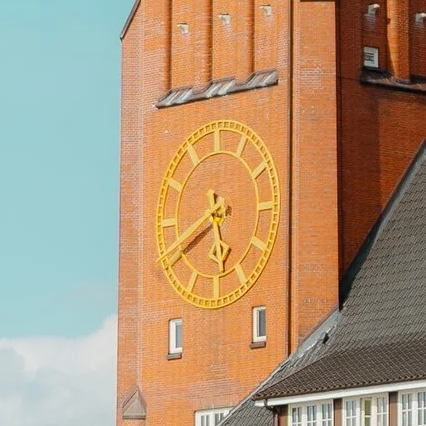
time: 5:40
